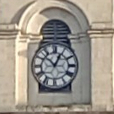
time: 12:52
